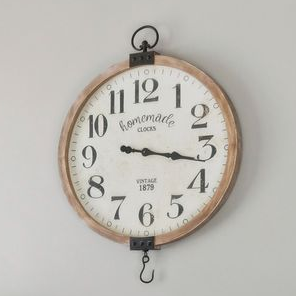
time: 3:16
